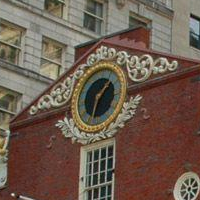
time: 1:32
